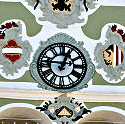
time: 12:46
